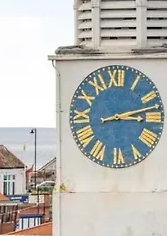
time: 3:12
